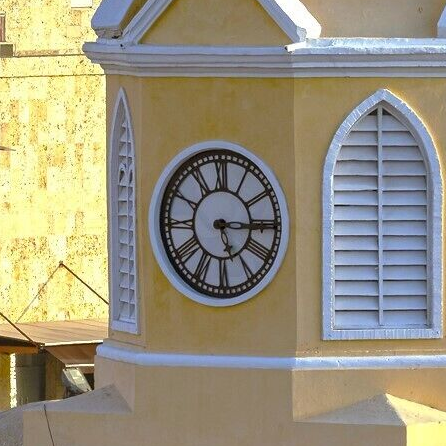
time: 5:15
